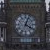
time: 4:03
